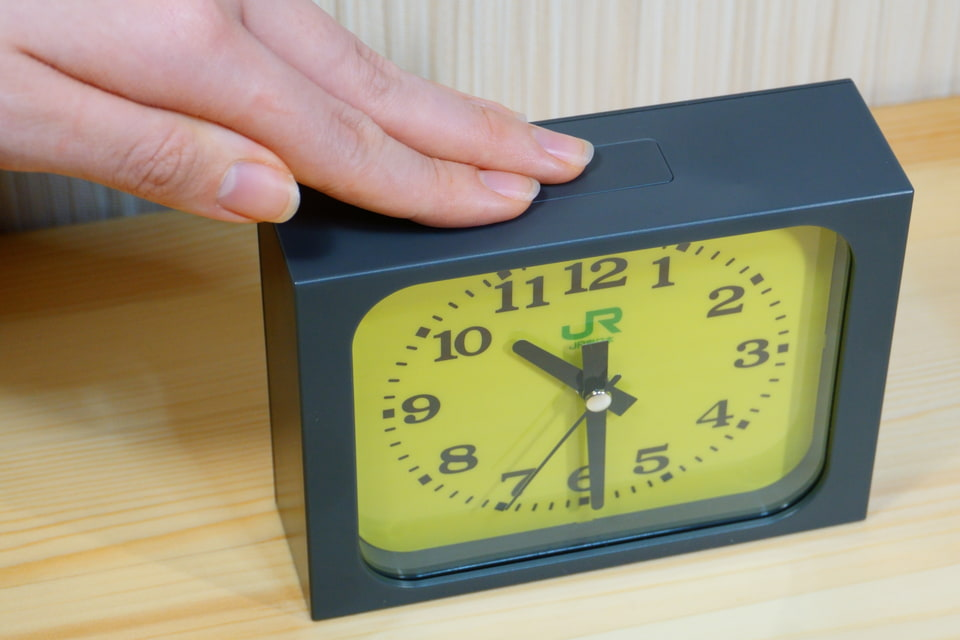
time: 10:29
